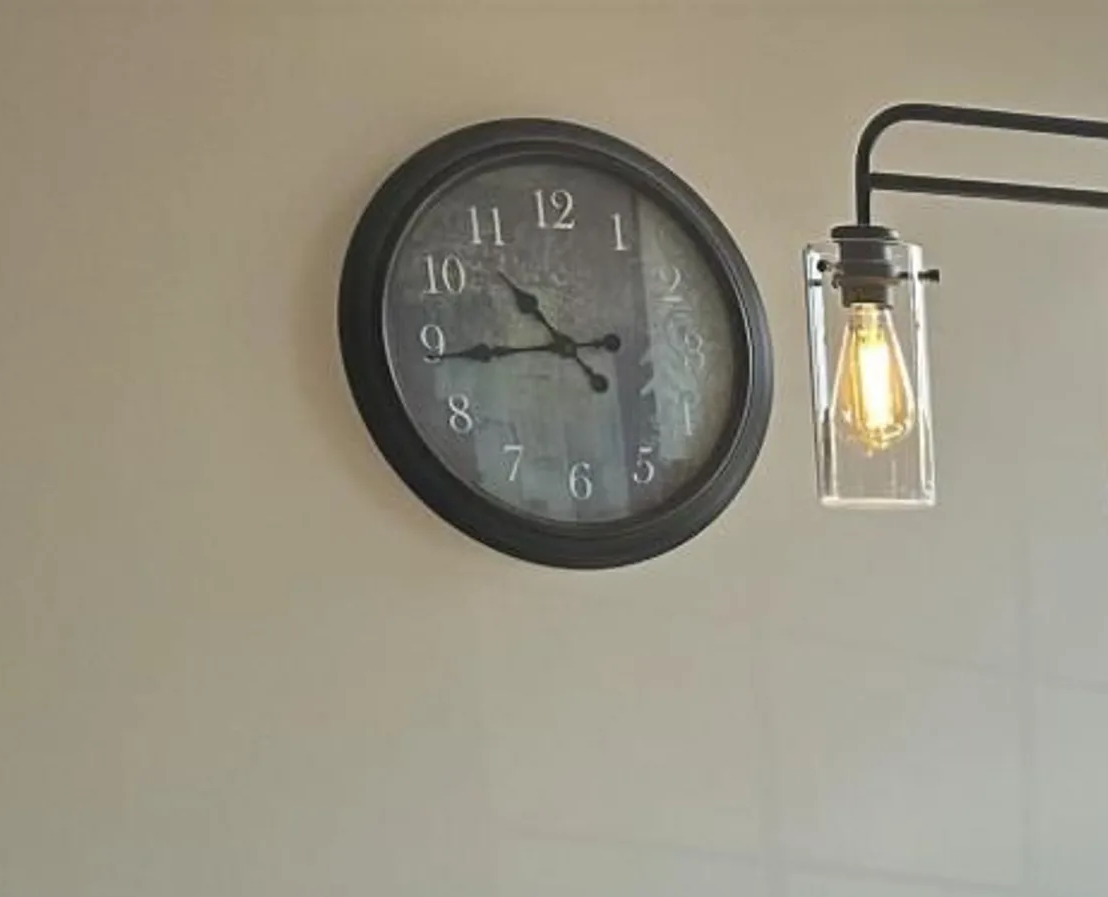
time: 10:44
